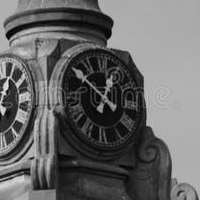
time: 12:50
